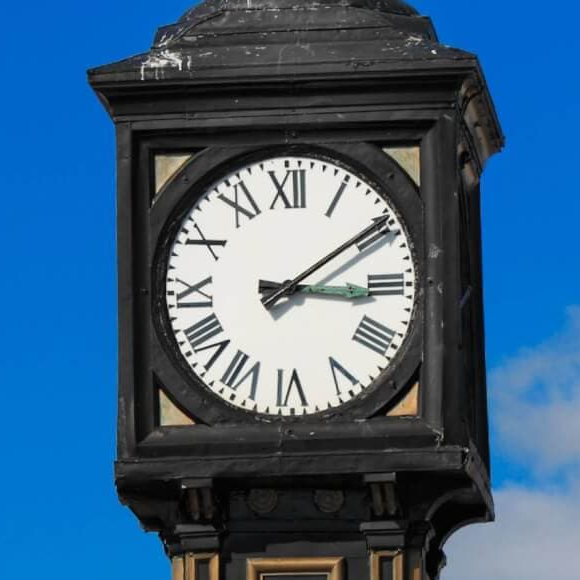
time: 3:09
